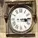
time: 3:14
